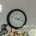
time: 3:18
